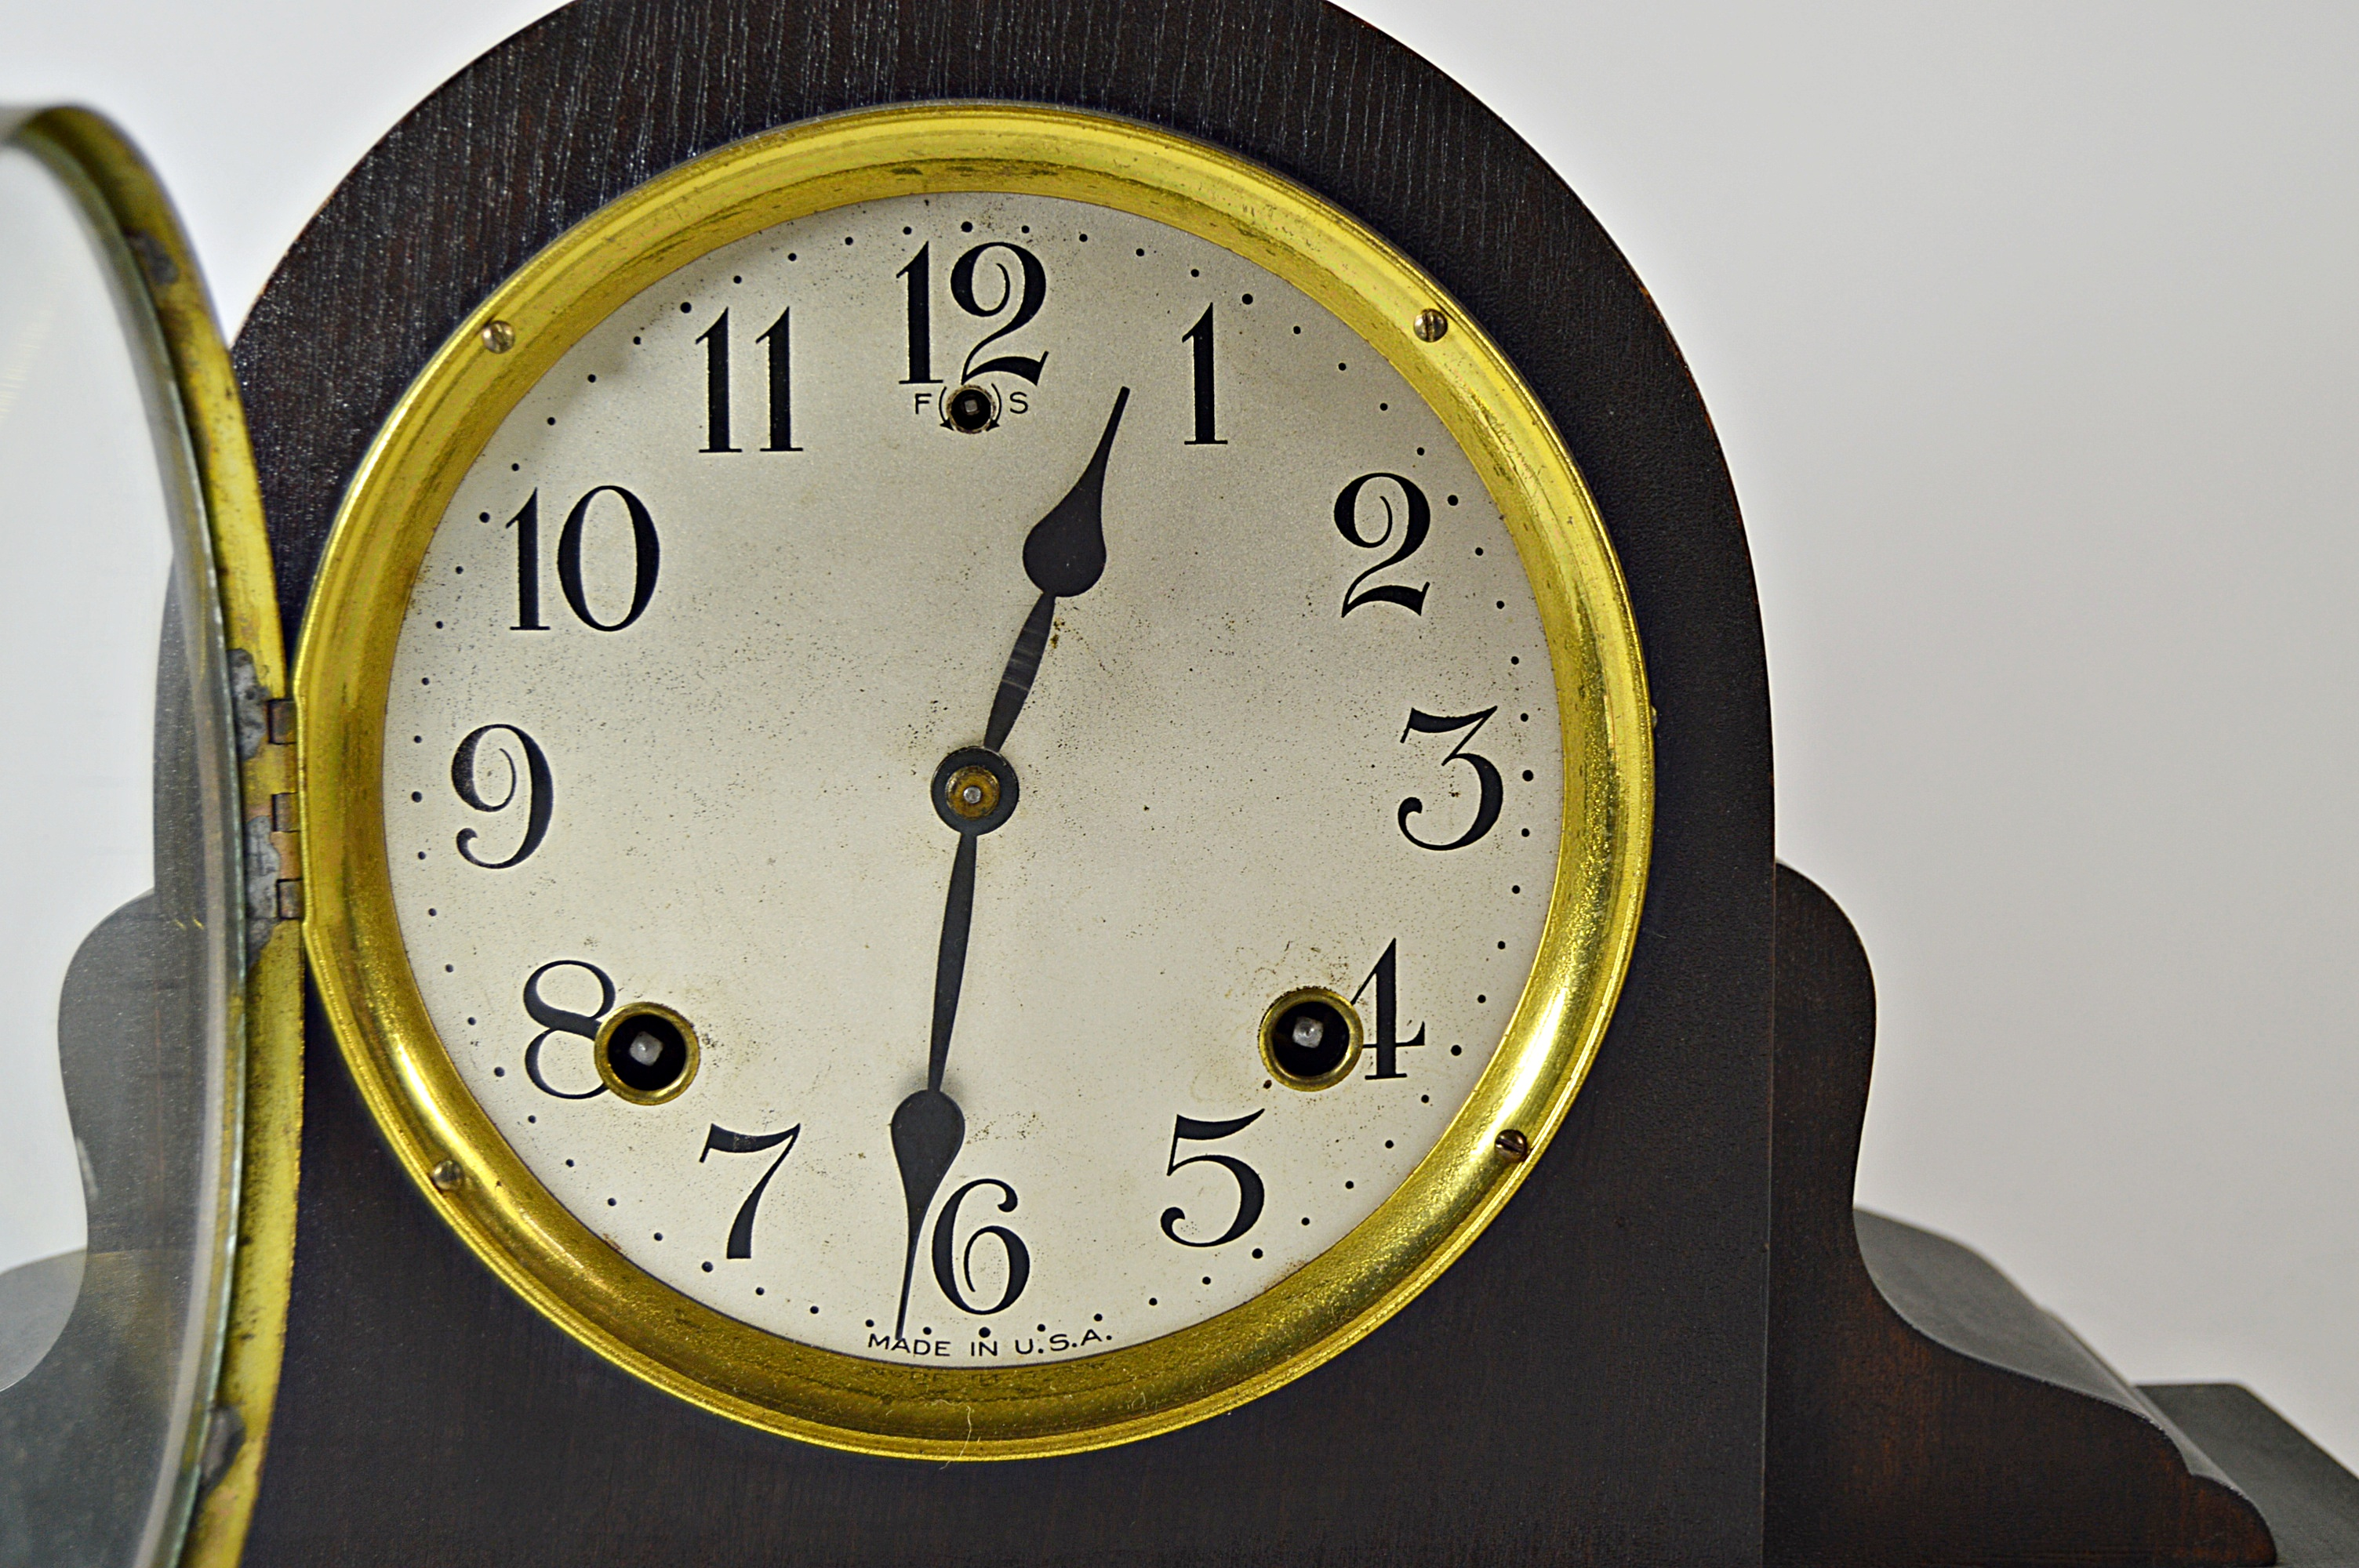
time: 12:31
